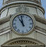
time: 10:58
